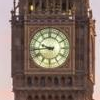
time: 9:43
